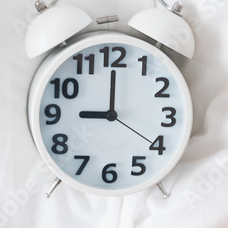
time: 9:00
